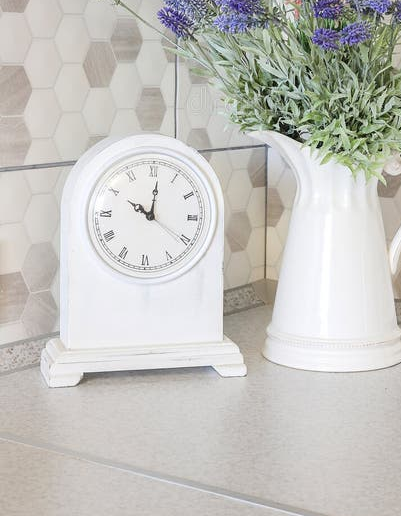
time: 10:01
